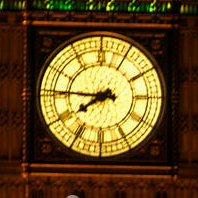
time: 7:45
